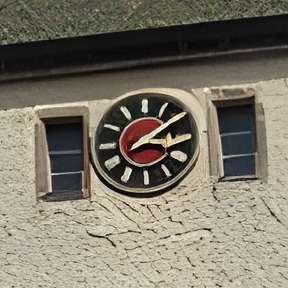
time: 3:09
